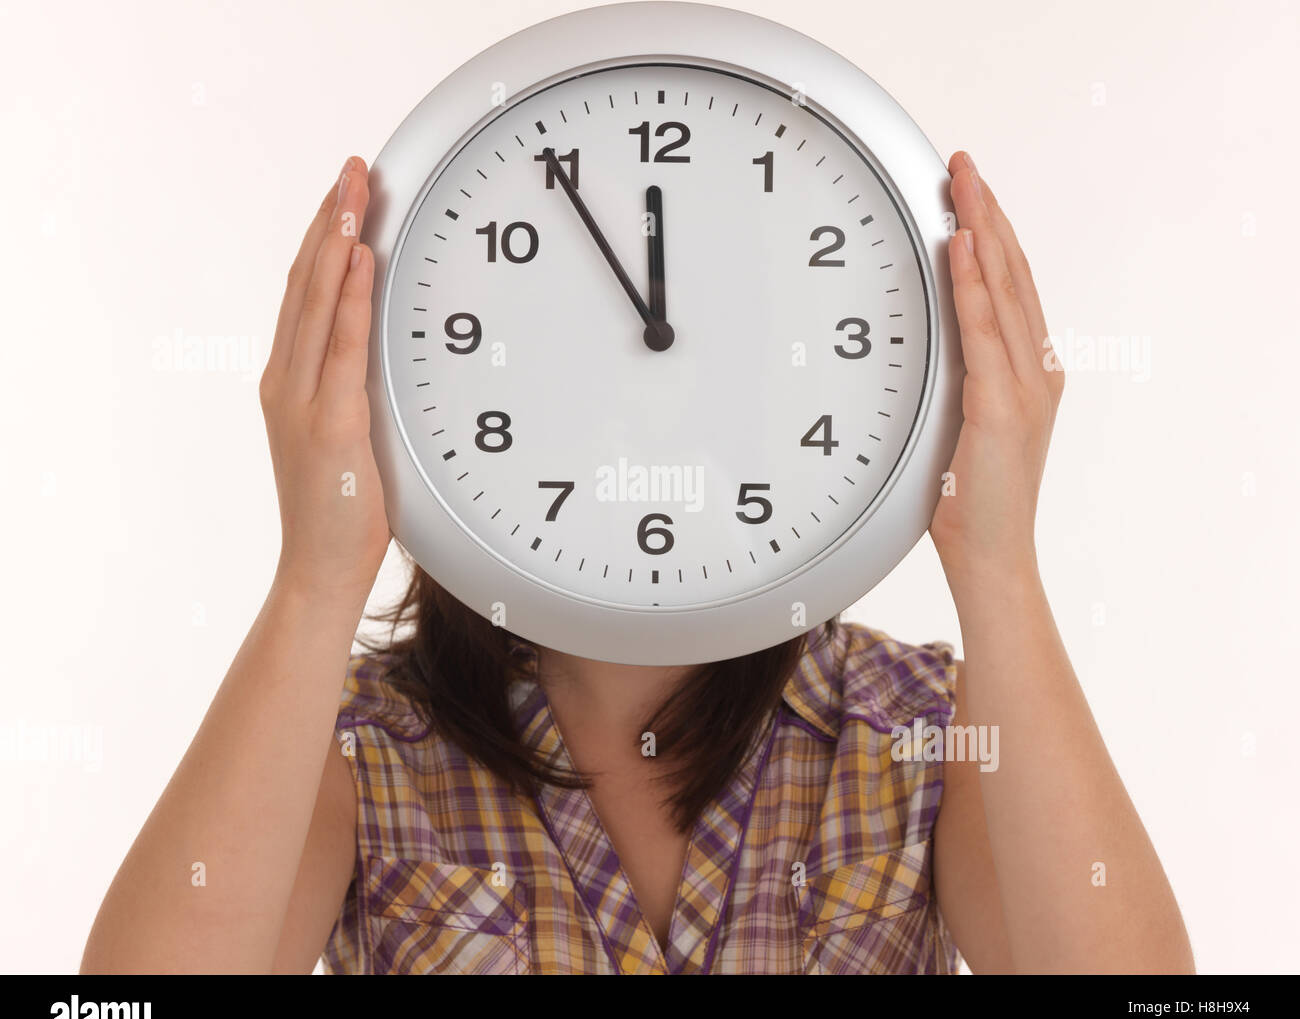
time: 11:54
